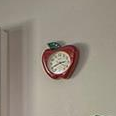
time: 2:40
